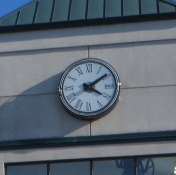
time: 4:09
